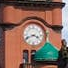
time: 3:41
